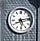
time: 5:13
